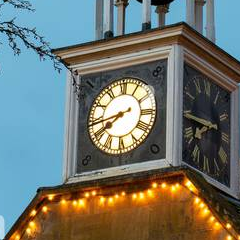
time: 7:43
